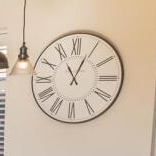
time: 11:04
